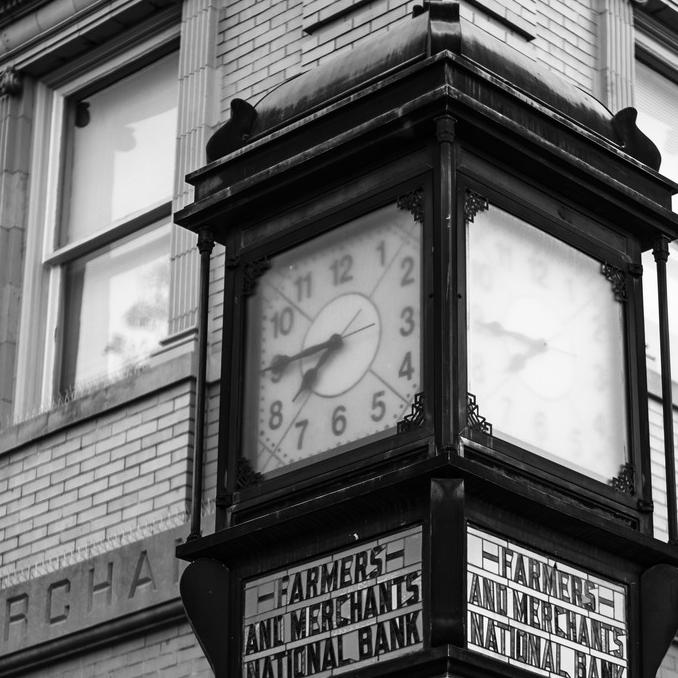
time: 7:45
